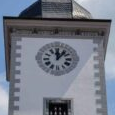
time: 12:06
